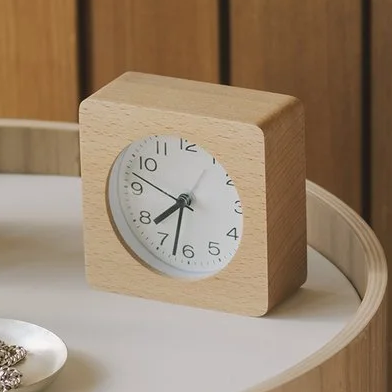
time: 7:32
